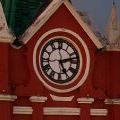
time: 5:12
